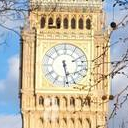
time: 5:28
